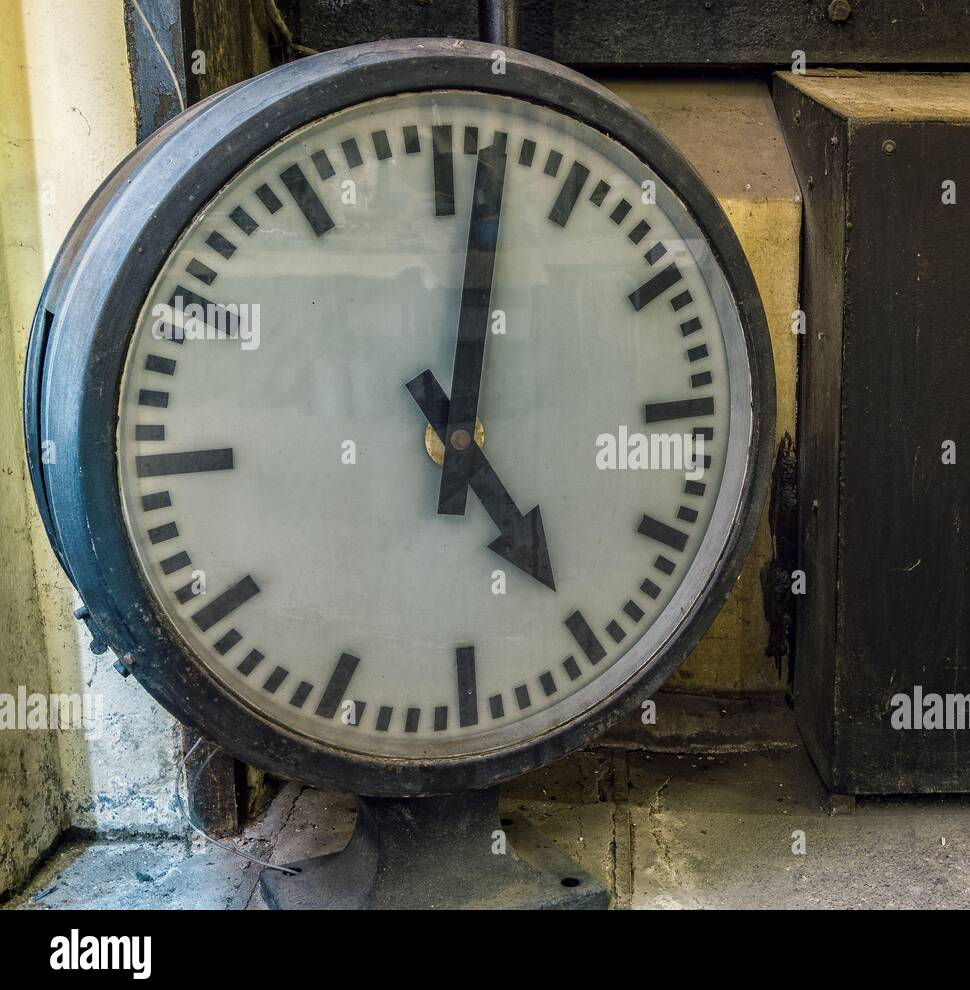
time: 5:01
